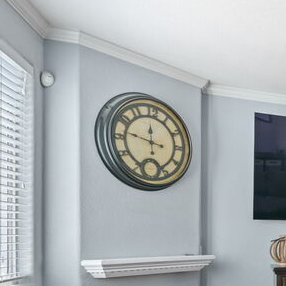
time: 11:46
